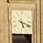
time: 5:18
